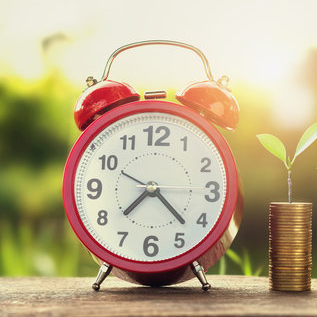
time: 7:22
